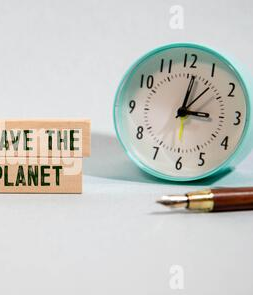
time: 3:01
